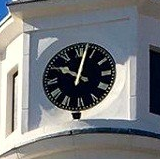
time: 10:02
